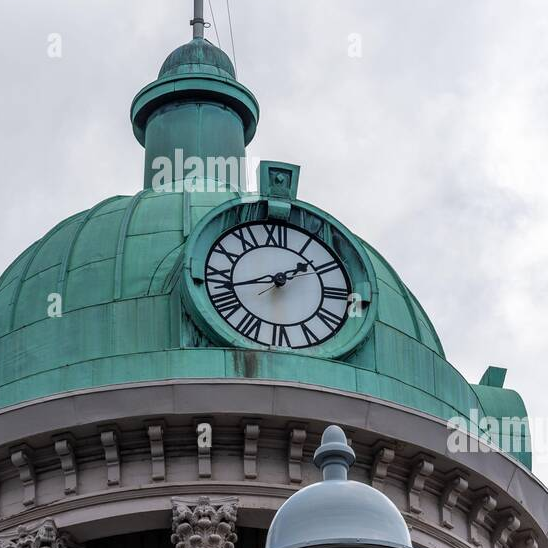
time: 1:42
